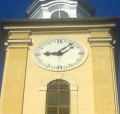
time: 9:07
